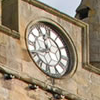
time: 10:40
